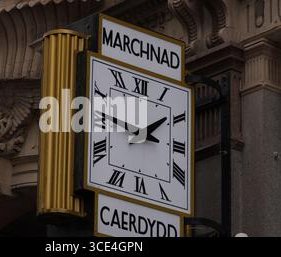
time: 1:46
